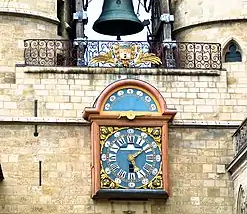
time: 6:08
